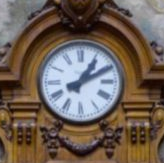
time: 1:10
